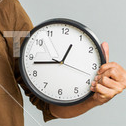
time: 12:43
